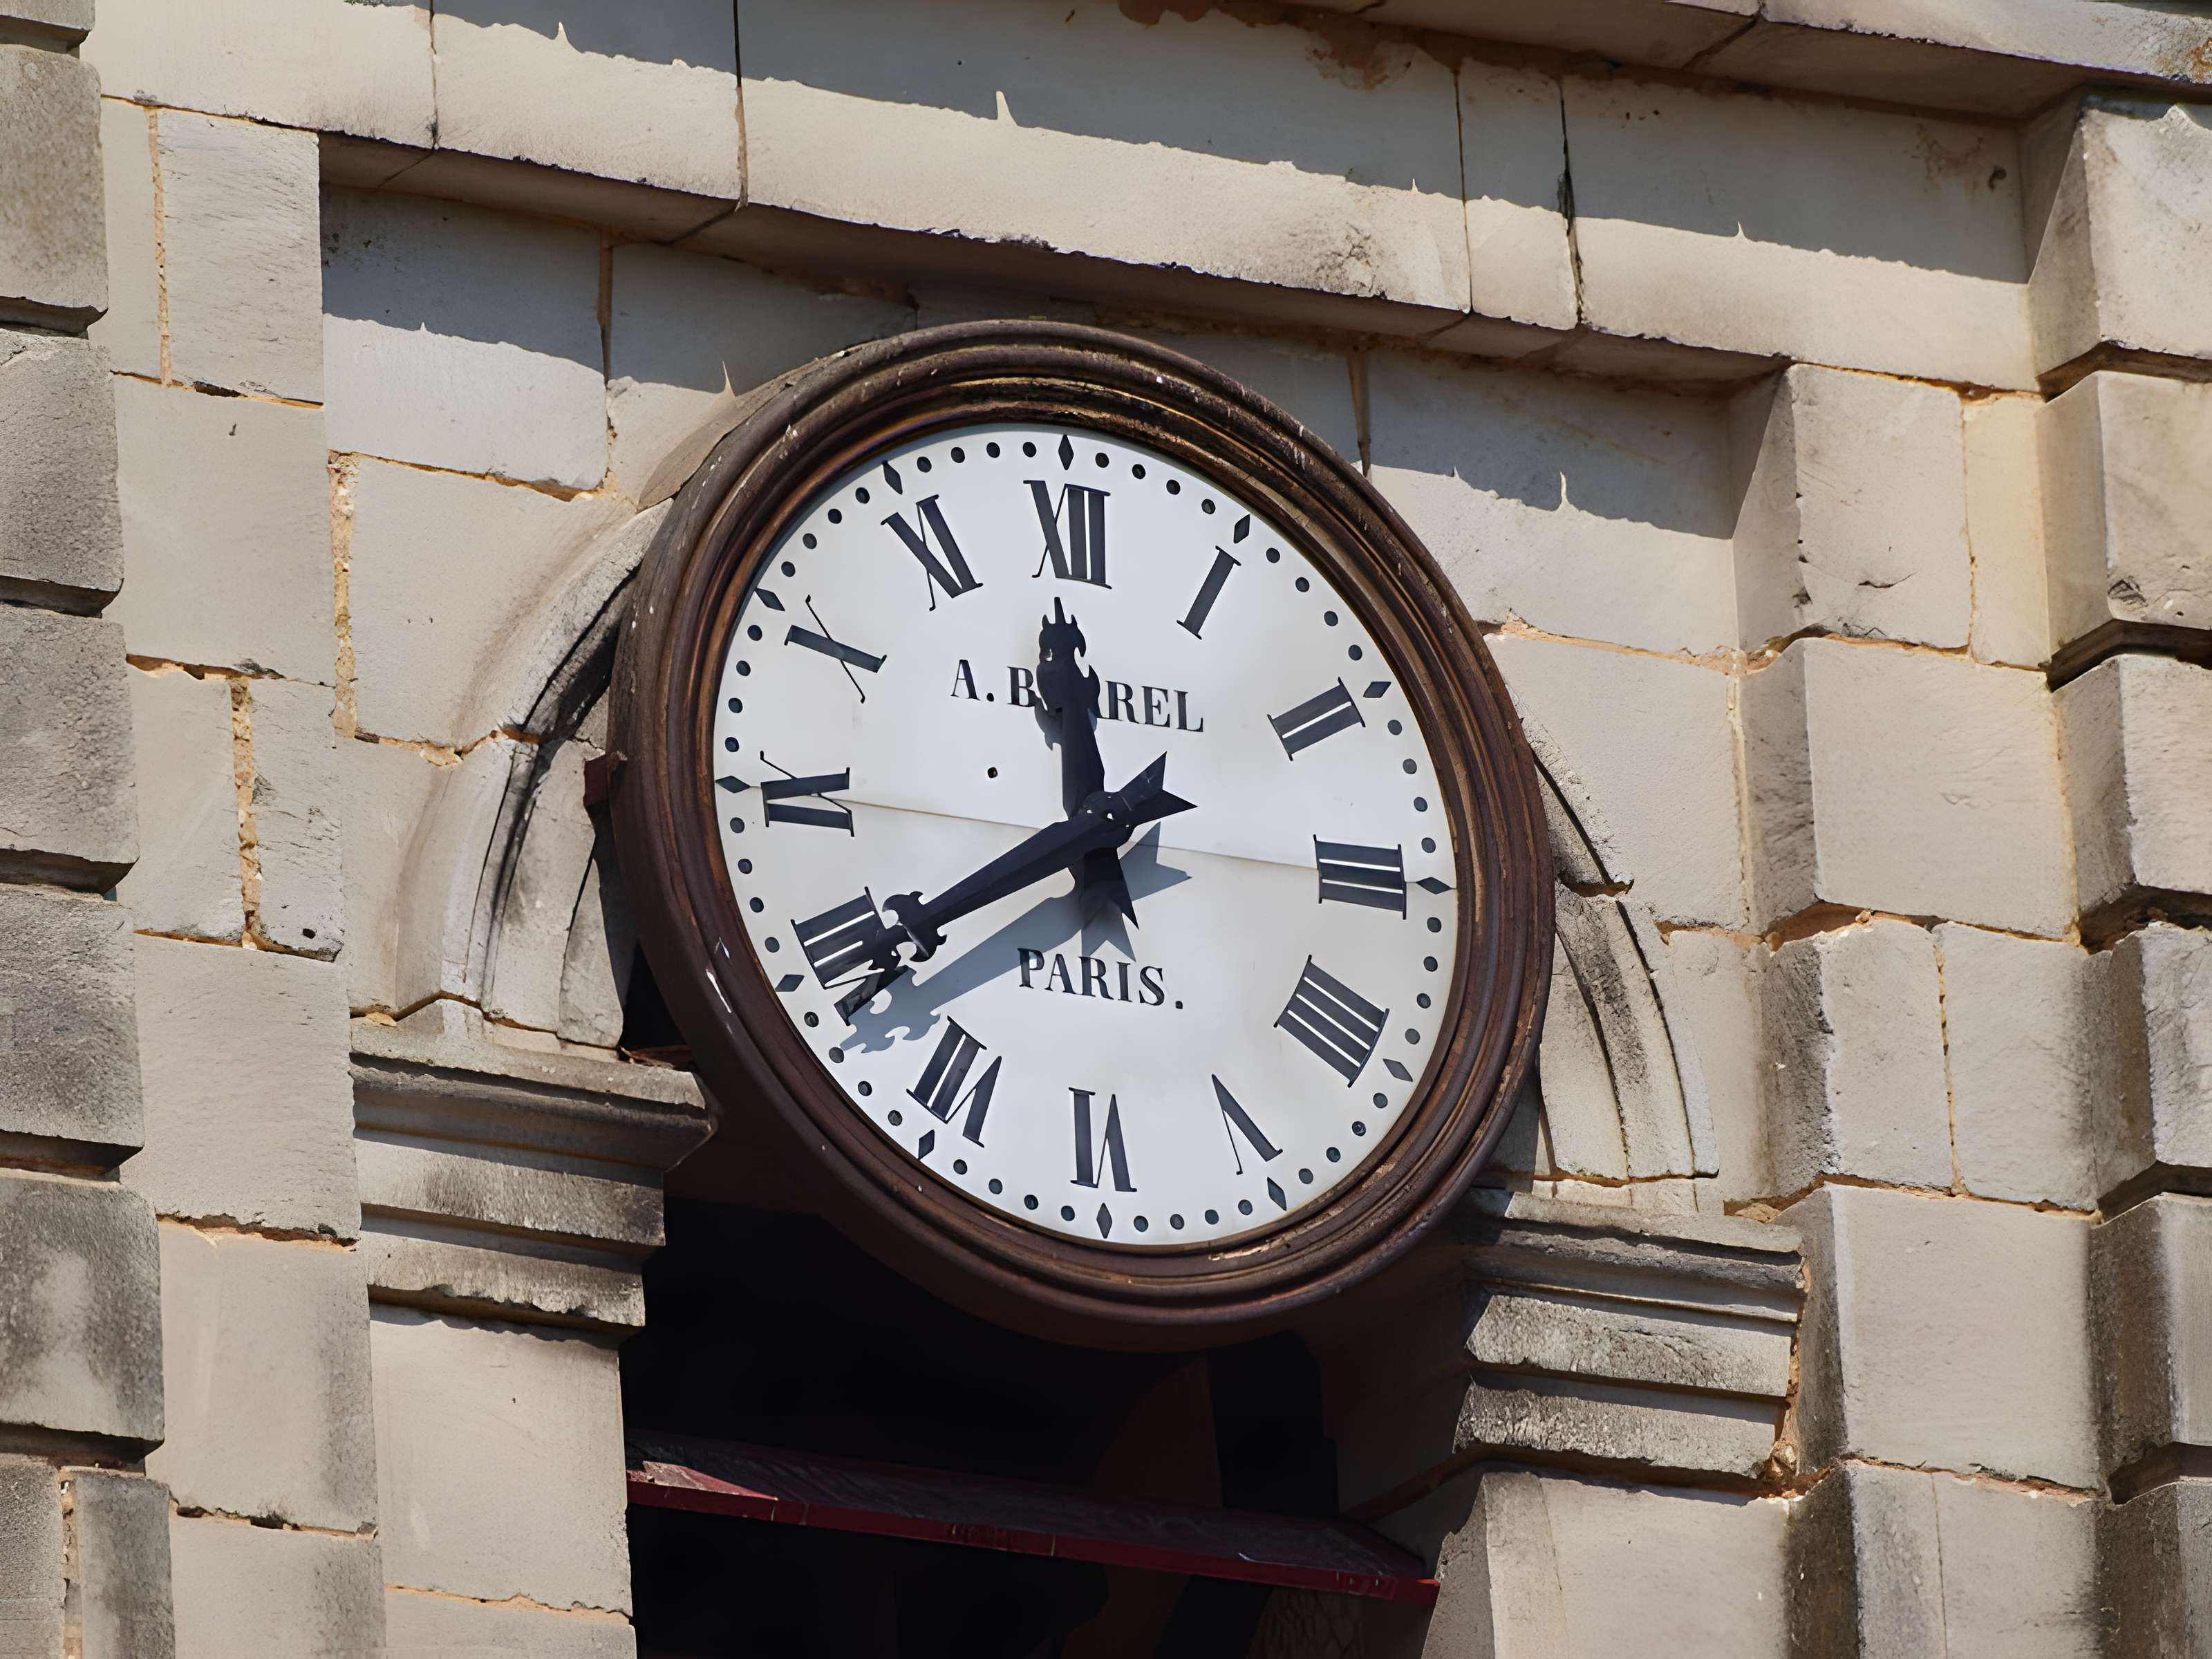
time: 11:39
